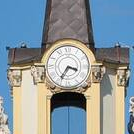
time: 3:35
